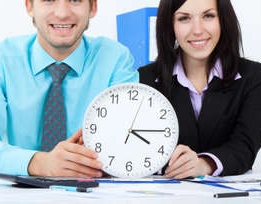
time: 4:14
